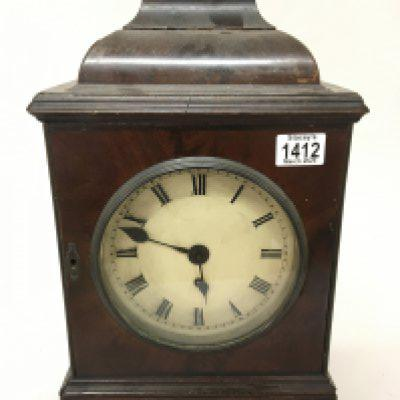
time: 5:48
